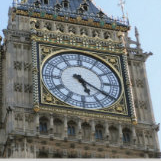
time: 5:20
